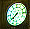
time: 7:38
